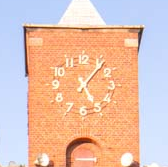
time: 5:06
